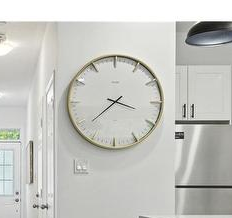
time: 3:38
